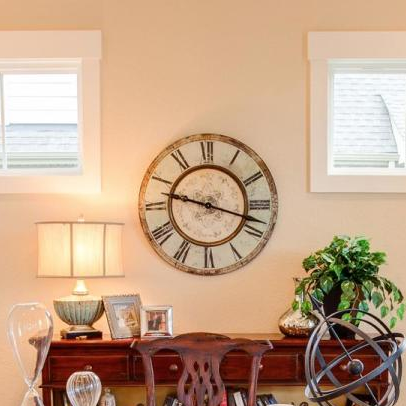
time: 9:17
